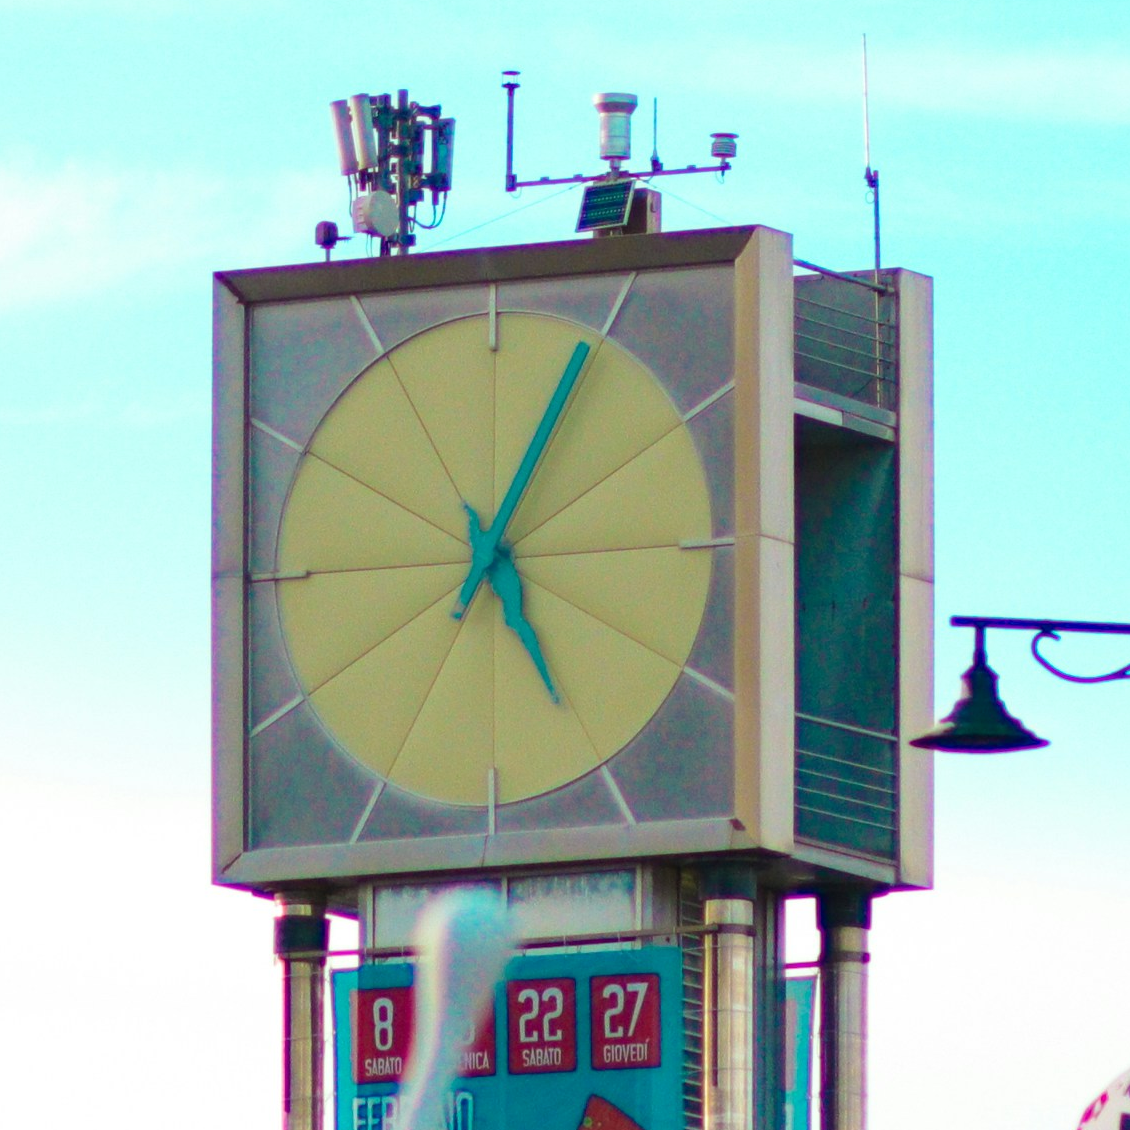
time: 5:04
